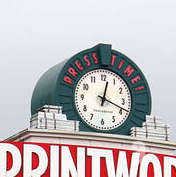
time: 12:18
